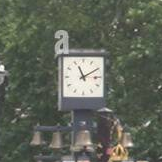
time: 11:10
